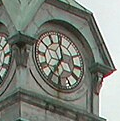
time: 6:58
